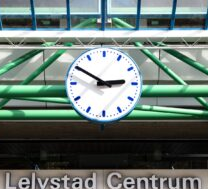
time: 2:50
